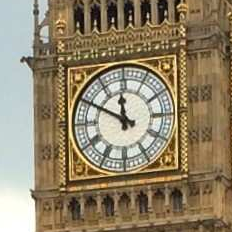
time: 11:49
